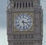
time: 3:28
